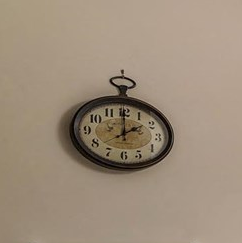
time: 2:00
